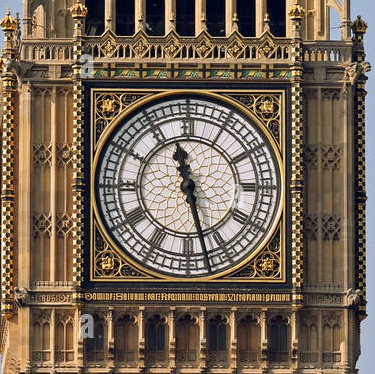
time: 11:27
